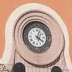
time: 4:03
